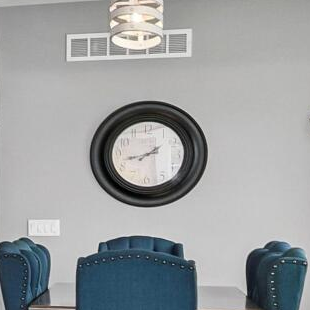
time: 1:42
